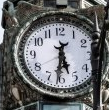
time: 5:31
